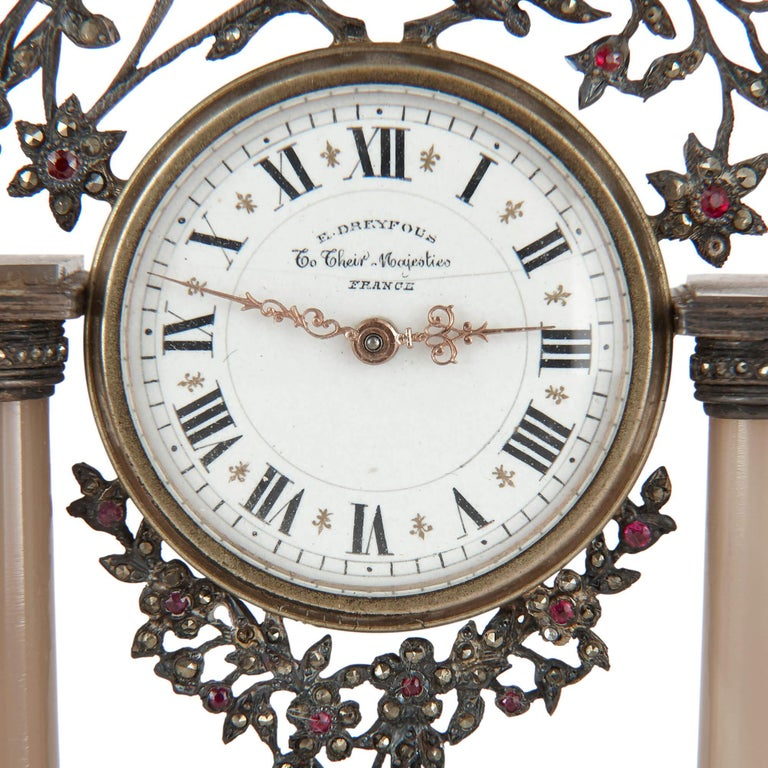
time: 2:47
